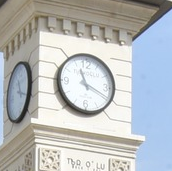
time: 11:19
